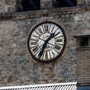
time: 1:34
